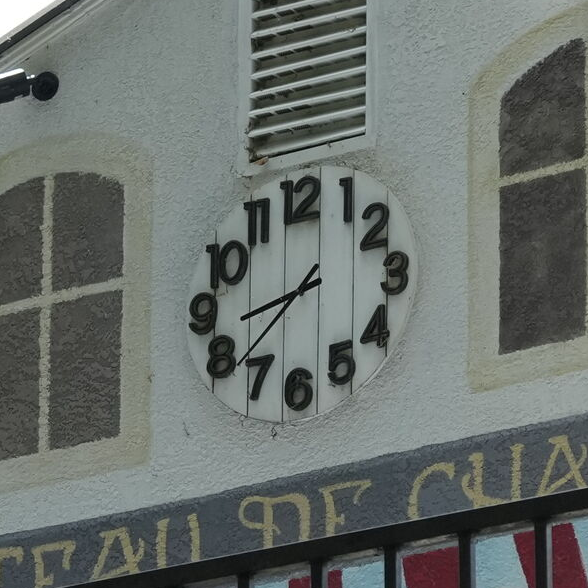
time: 8:38
